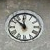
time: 11:52
